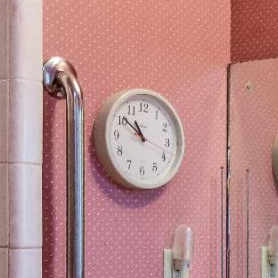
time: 10:51
